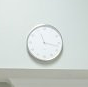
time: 11:17
